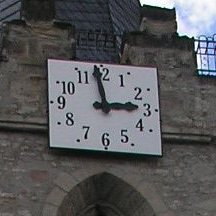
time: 2:58
